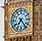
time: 7:23
